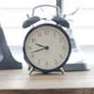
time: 9:42
